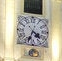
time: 4:33
